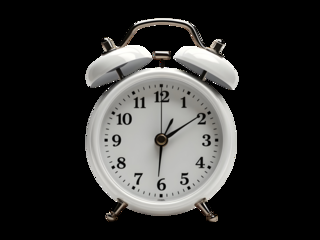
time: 1:09
